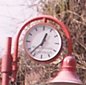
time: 12:37
